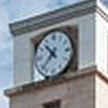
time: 10:37
